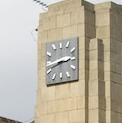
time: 2:42
